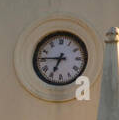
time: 6:45
